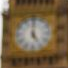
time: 5:00
